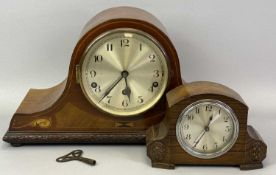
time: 5:35
